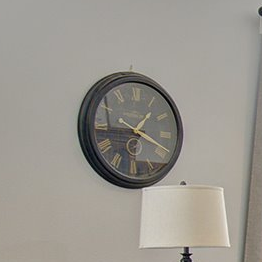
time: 1:18
